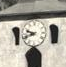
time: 9:42
